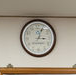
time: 3:04
